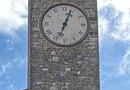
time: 12:33
